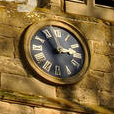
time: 2:53
